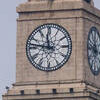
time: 11:46
